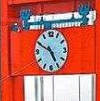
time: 4:49
